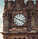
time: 3:48
